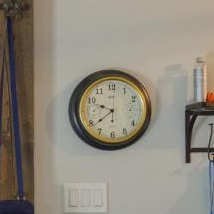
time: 9:38
